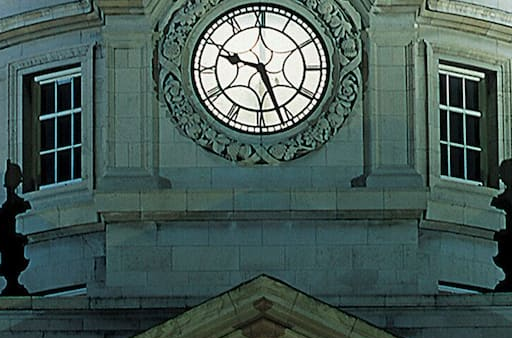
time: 9:26
